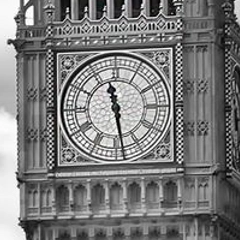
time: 11:28
